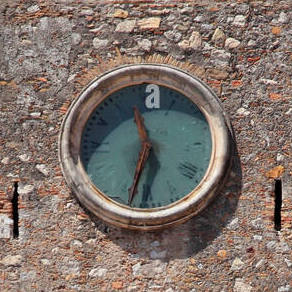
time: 11:32
